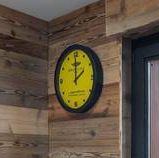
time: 1:59
